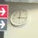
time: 12:16
